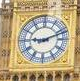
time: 9:11
